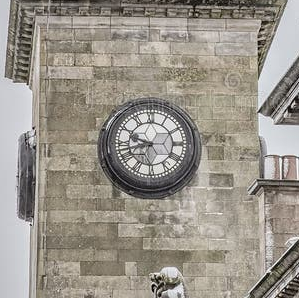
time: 9:42
